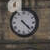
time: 4:22
